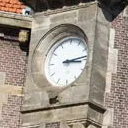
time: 3:13
